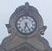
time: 6:24
